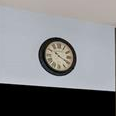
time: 10:19
